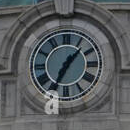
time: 1:34
